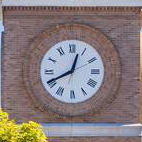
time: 12:40
